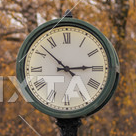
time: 2:52
